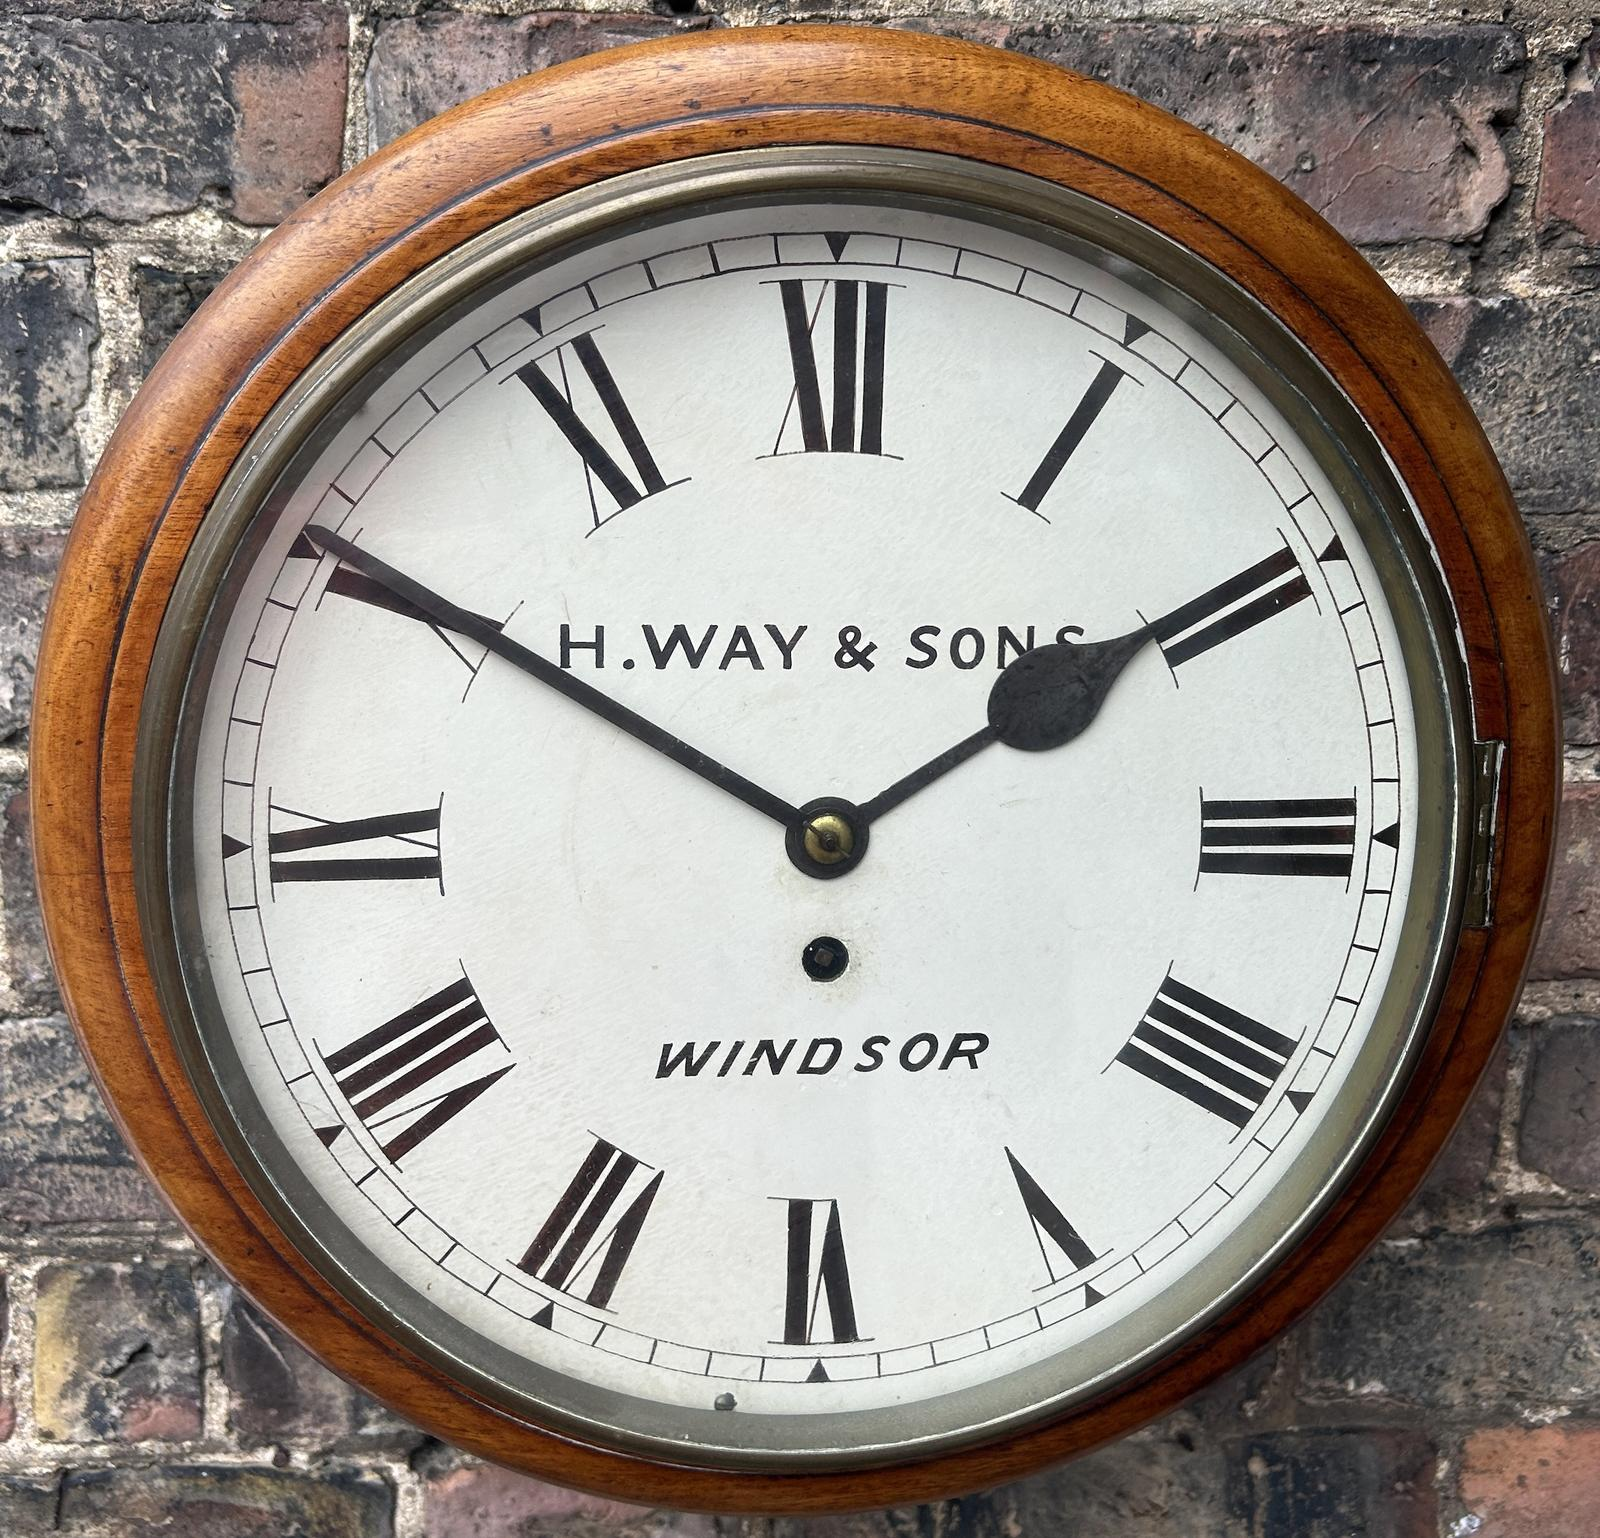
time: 1:50
